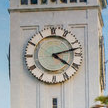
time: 4:12
